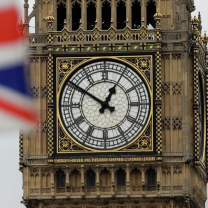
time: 12:50
